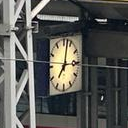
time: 7:02
